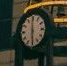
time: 5:59
